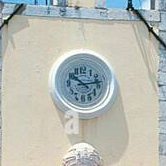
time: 10:13
